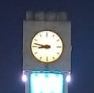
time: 8:47
